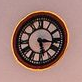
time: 3:28
